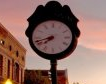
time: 7:42
